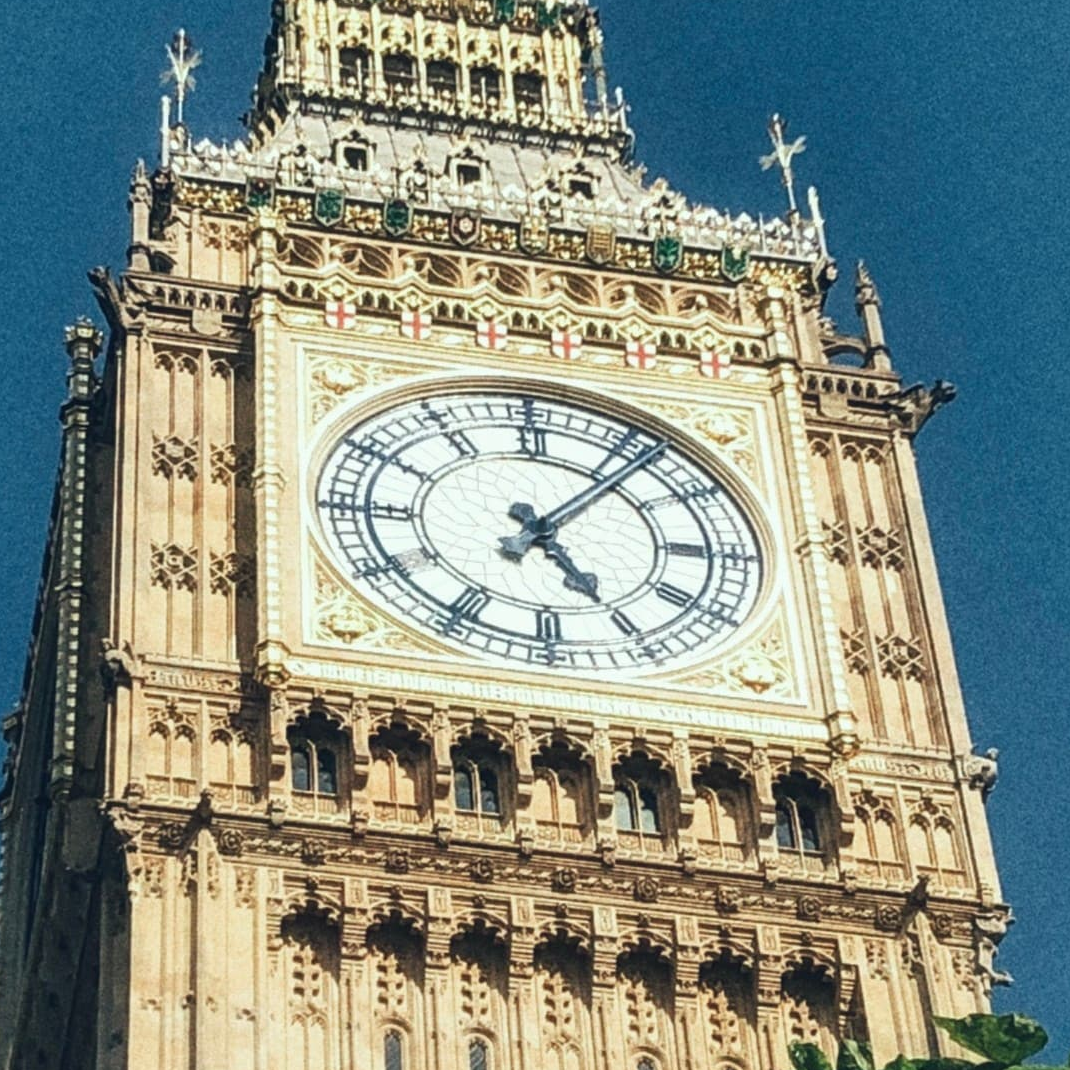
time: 5:06
